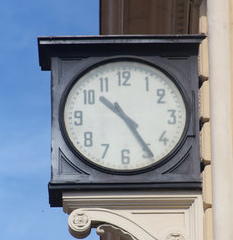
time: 10:24
